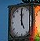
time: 4:59
